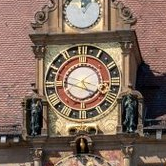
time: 3:46
